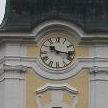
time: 10:16
